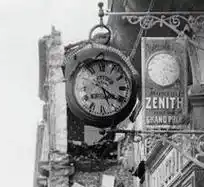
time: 5:21
